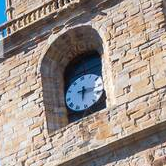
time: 6:17
